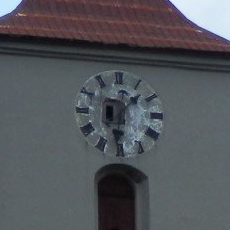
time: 1:31
